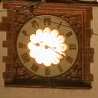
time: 9:19
